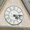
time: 4:14
